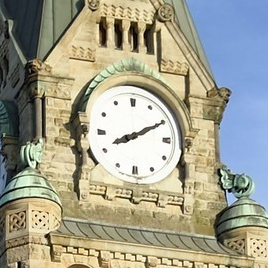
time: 8:10
